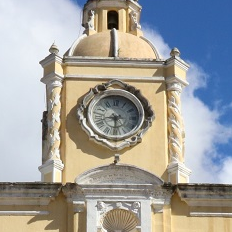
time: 8:30
